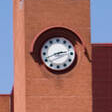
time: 2:41
